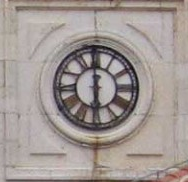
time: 5:59
